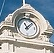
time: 11:07
